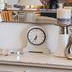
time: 6:35
